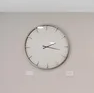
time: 2:17
